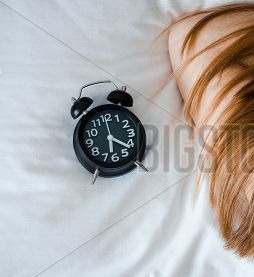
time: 6:21
